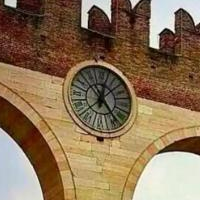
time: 12:23
